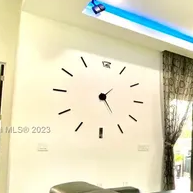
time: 1:24
